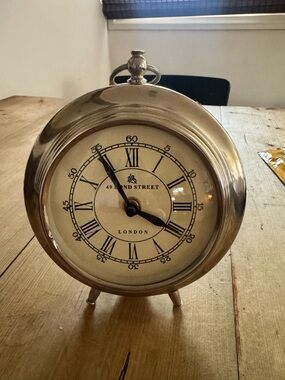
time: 3:55
